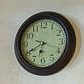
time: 6:40
